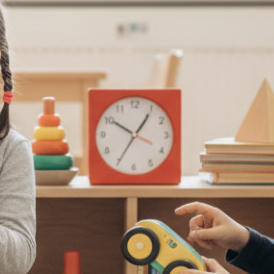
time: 10:05
